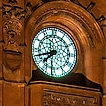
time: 7:42
